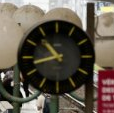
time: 10:42
